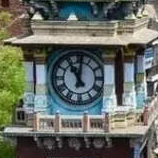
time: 11:01
